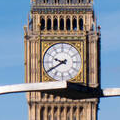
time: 9:40
